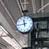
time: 11:43
